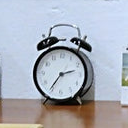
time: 2:35
